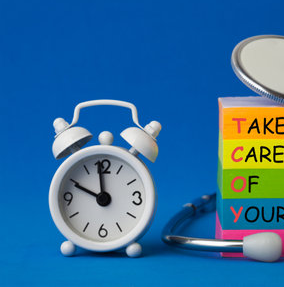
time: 11:49
